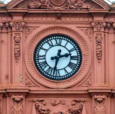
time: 2:32
